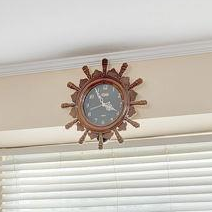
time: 3:55
